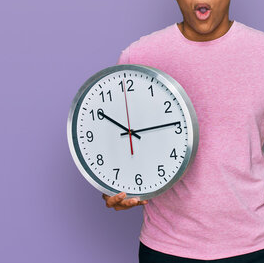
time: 10:13
